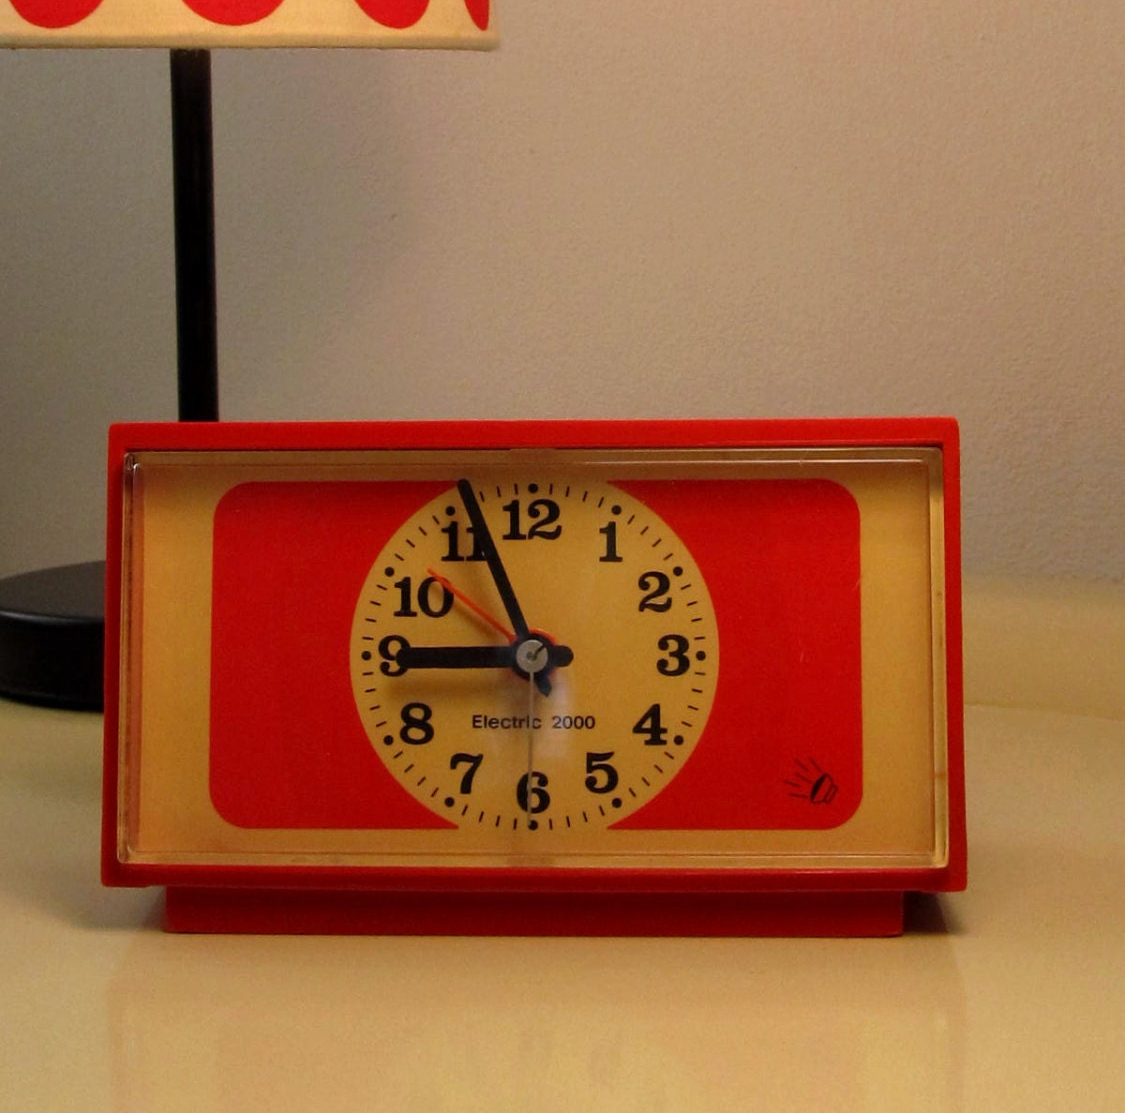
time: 8:56
